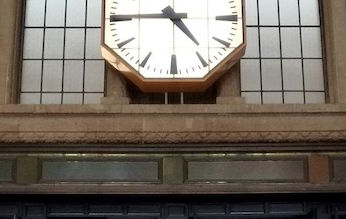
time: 4:45
